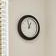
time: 12:57
